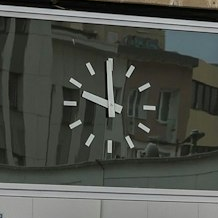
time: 11:48
